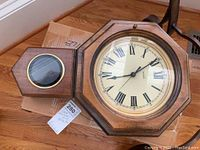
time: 1:43
